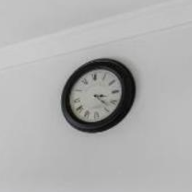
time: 3:22
